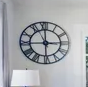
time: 2:59
